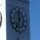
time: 11:35
